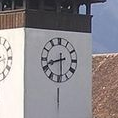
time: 8:29
